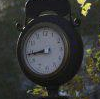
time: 8:43
